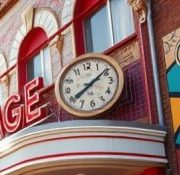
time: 8:09
